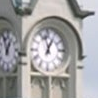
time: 12:57
